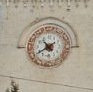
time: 10:39
